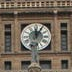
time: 12:05
